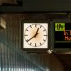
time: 12:38
